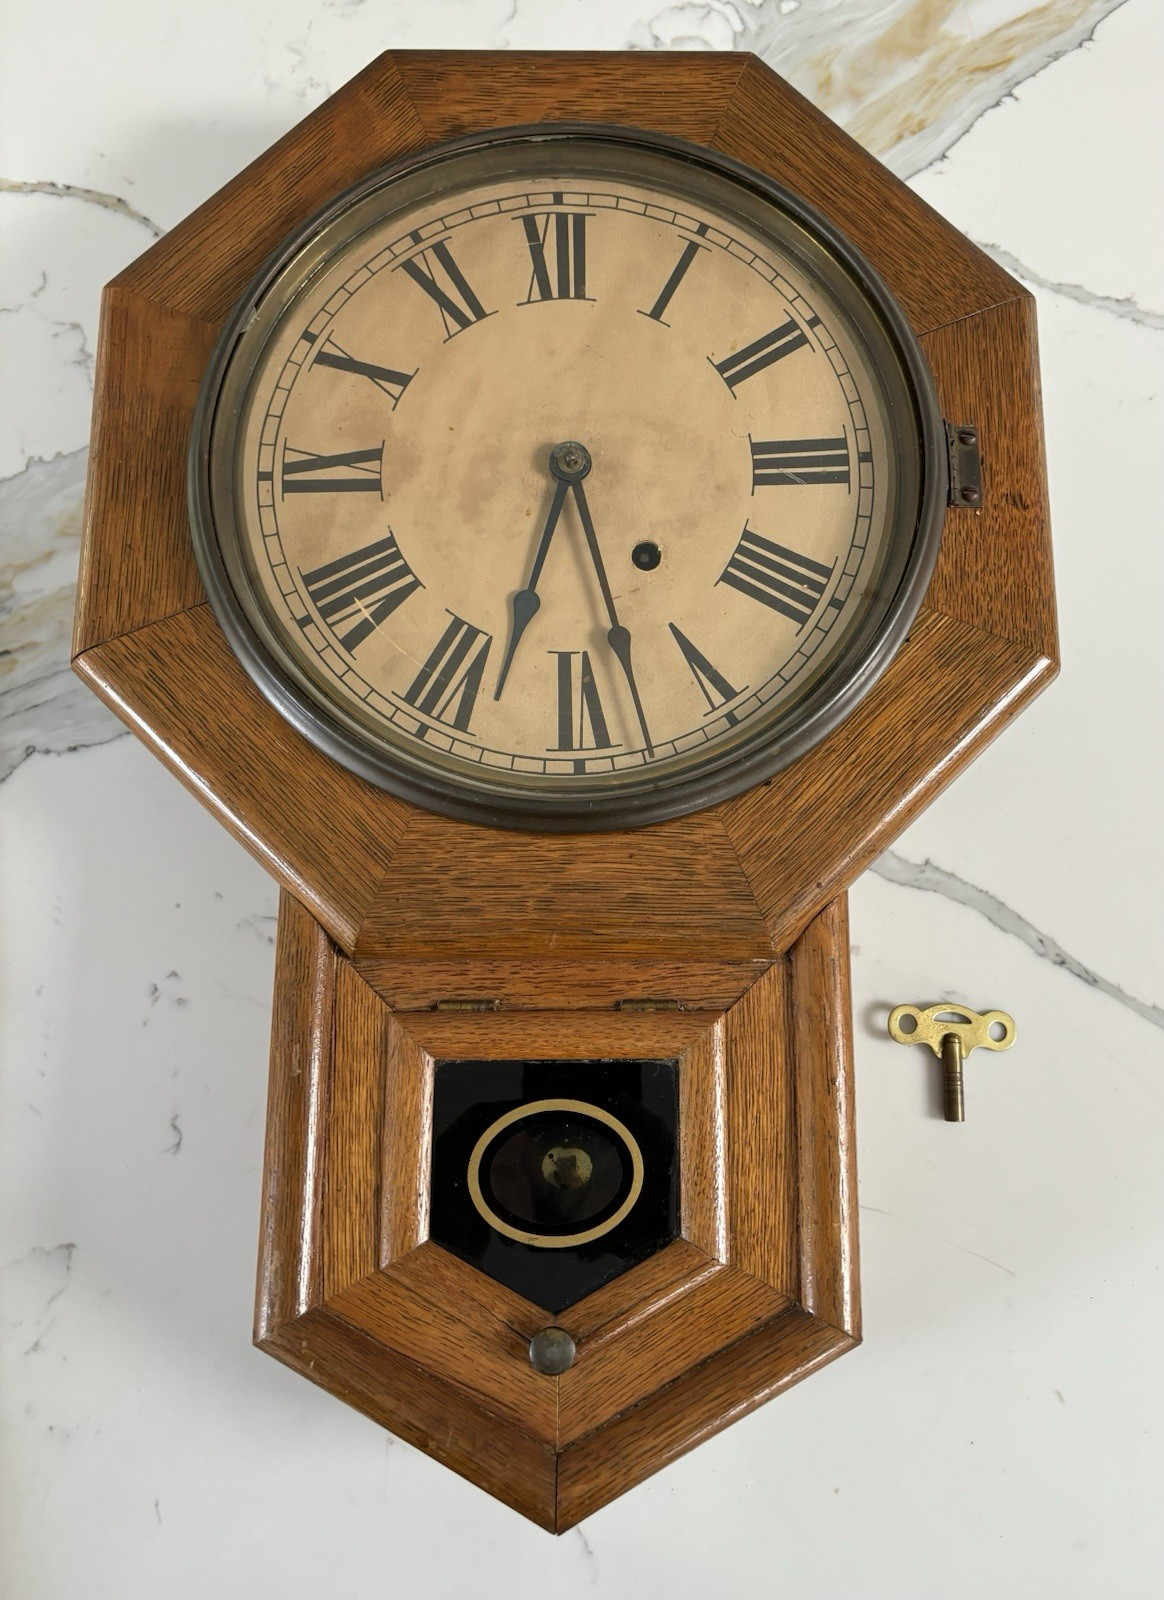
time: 5:33
